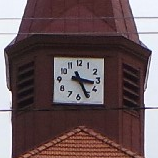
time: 3:25
